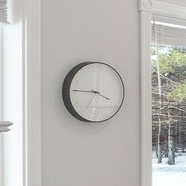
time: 3:45
